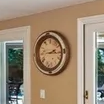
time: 2:15
